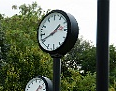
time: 1:41
